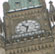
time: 10:32
